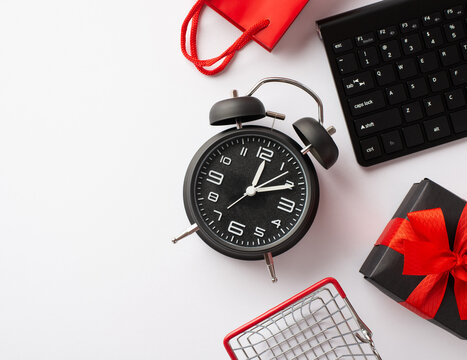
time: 12:10
